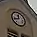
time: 11:42
